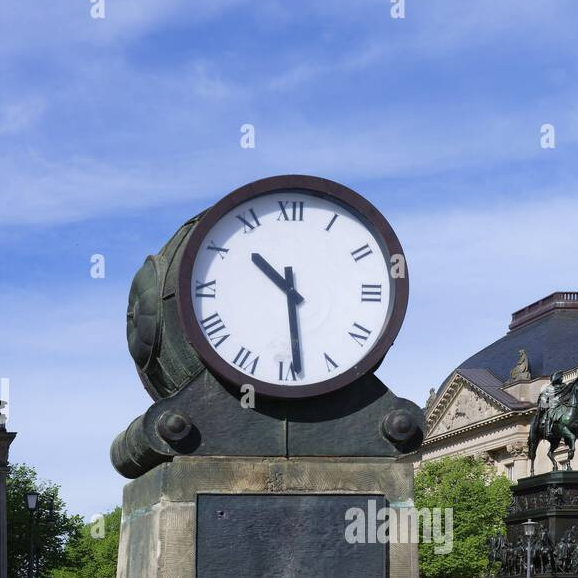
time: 10:29
